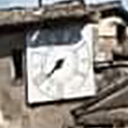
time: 7:38
